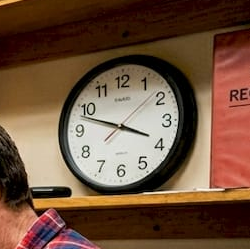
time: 3:48
